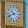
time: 10:41
